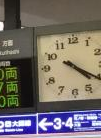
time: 4:20
